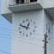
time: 12:49
